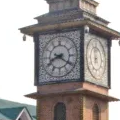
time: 8:20
